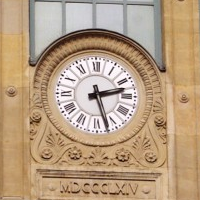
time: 2:27
